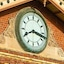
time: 8:17
